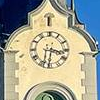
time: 3:32
